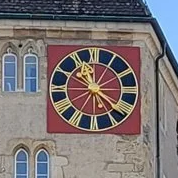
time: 11:21
